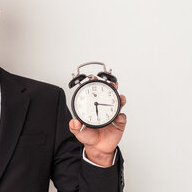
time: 6:17
